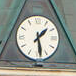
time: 1:28
